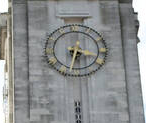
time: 3:32
